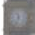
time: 11:33
